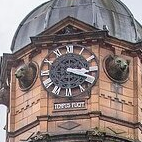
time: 3:18
